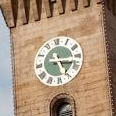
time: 5:16
